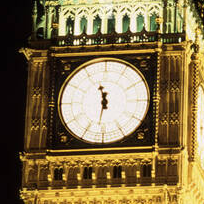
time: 11:31
